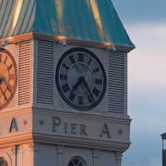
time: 7:24
